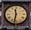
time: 11:32
